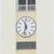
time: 11:32
